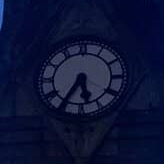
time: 5:35
